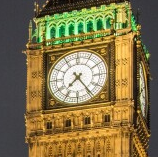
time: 7:24
